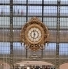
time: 11:32
